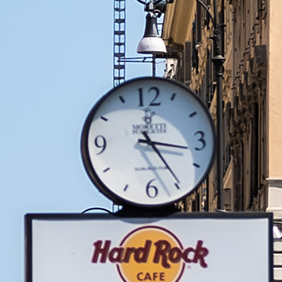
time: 3:24
